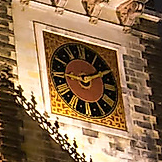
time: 9:10
